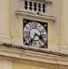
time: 3:34
